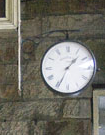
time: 1:34
